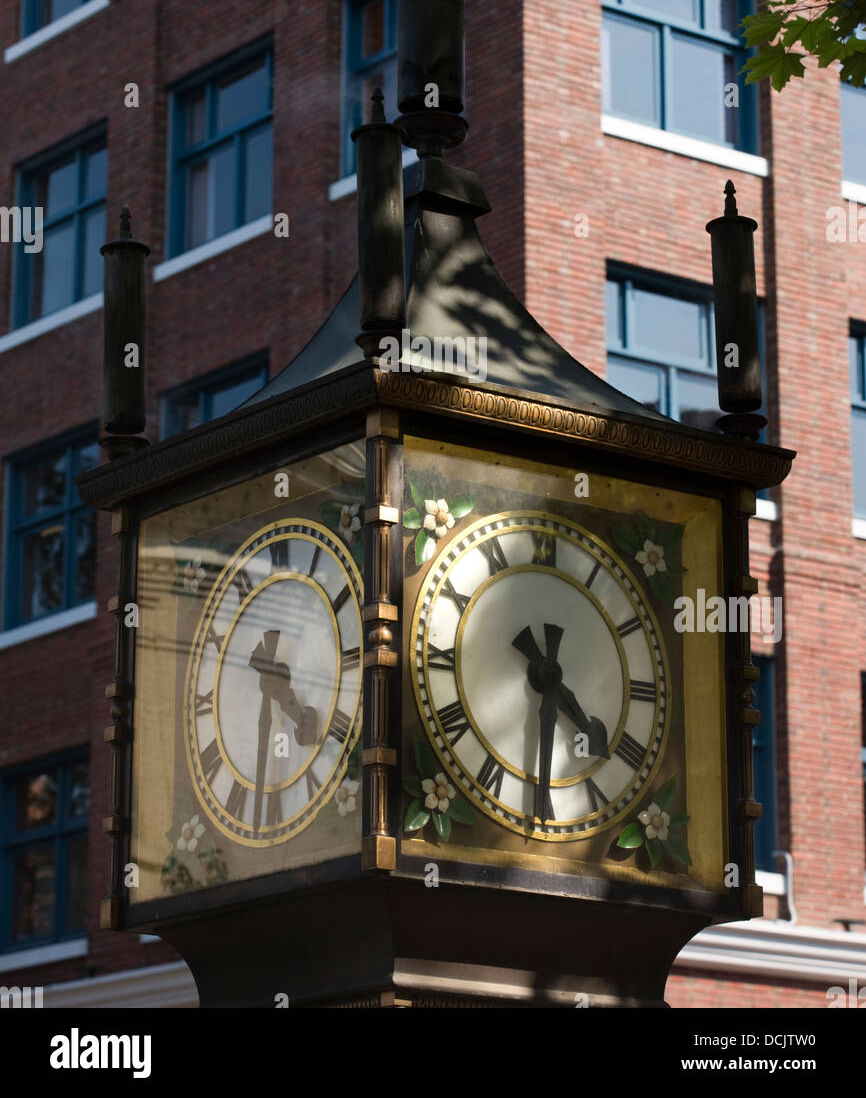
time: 4:31
